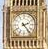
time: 2:23
